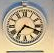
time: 7:18
